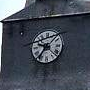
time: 9:36
